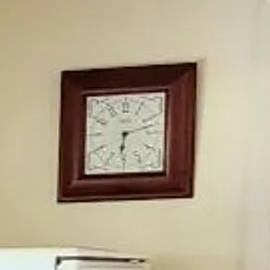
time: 6:12
